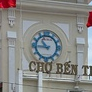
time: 10:45
